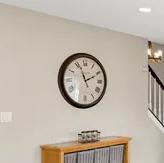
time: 1:56
